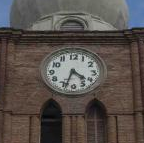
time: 4:33
